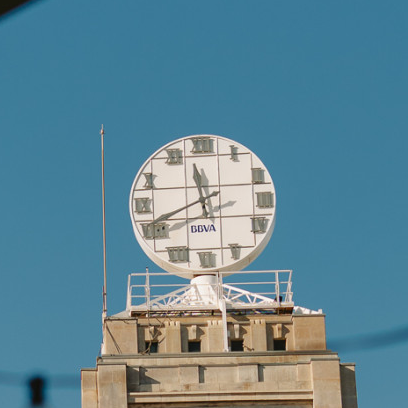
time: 11:41
